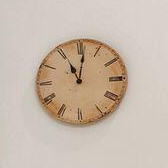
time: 11:01
